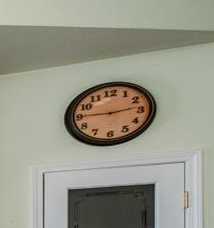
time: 2:45
